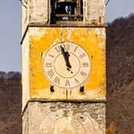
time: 11:57
